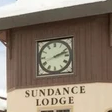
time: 2:12
